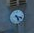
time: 5:18
